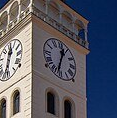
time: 12:32
